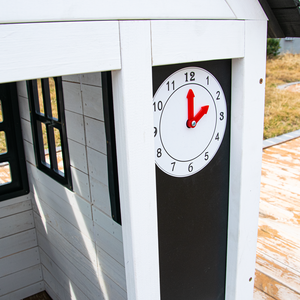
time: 2:00
